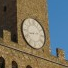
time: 8:12
